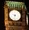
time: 9:32
